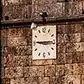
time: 9:14
